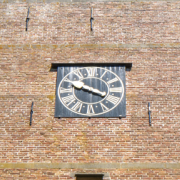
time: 3:48
